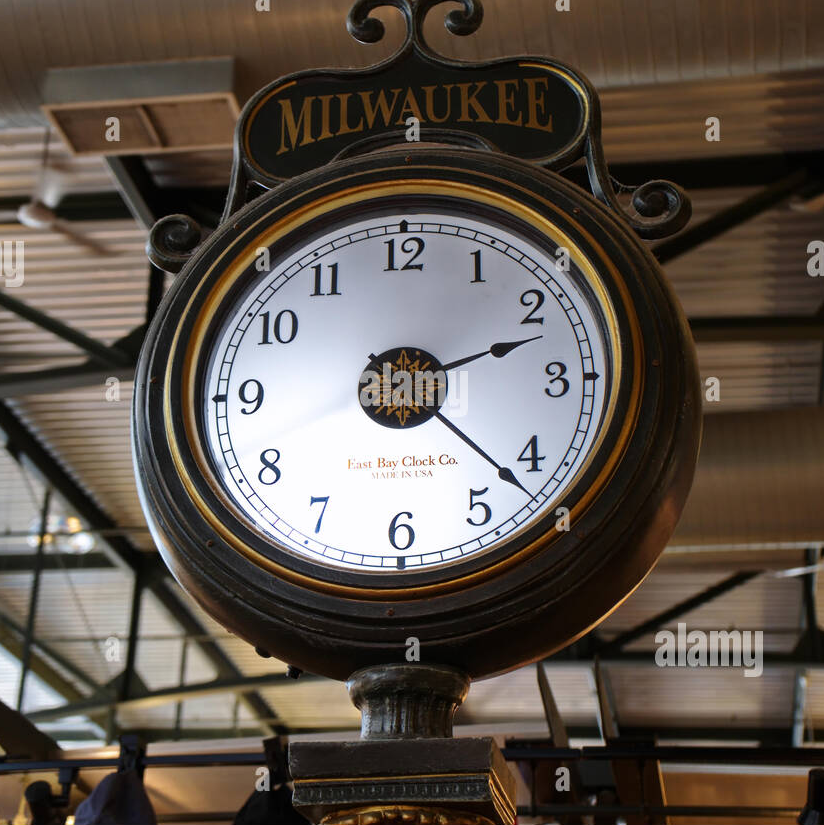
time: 2:21
